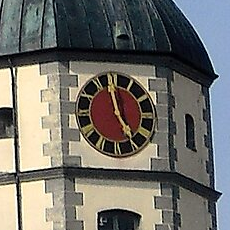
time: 4:58
